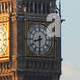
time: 8:30
